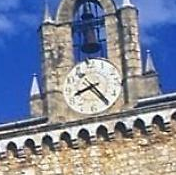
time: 8:24
